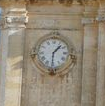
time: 1:30
